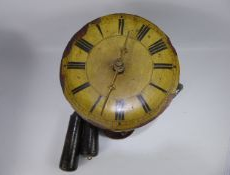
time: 12:33
